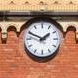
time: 1:49
